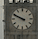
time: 9:49
